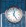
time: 12:24
